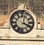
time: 4:02
